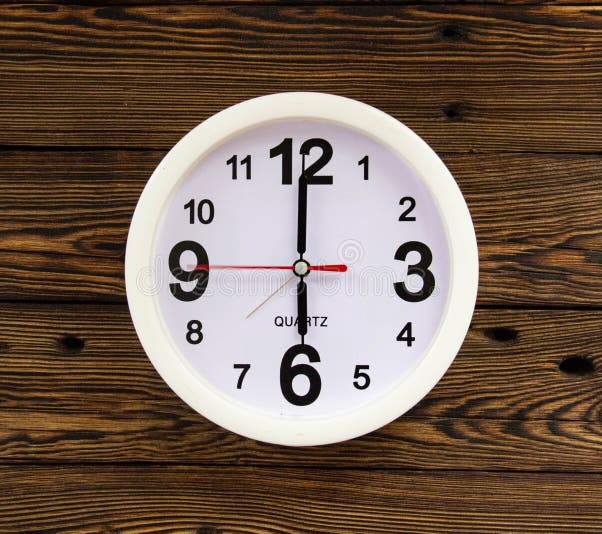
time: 5:59
